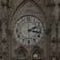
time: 2:17
